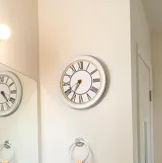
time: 7:35
